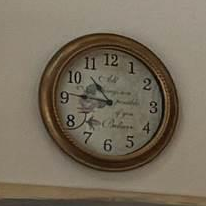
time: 10:46
